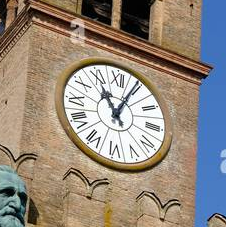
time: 11:04
